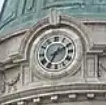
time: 7:10
